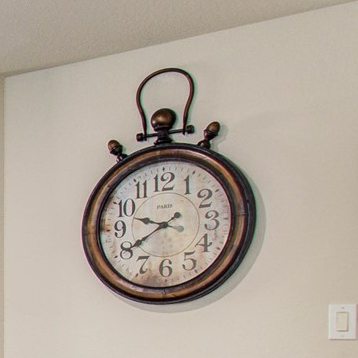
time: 9:40
